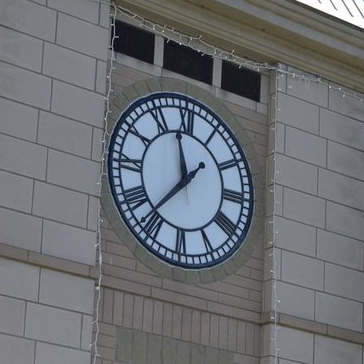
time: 11:36
